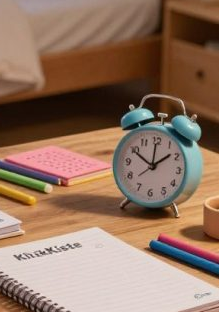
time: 1:49
